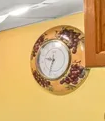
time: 9:33
